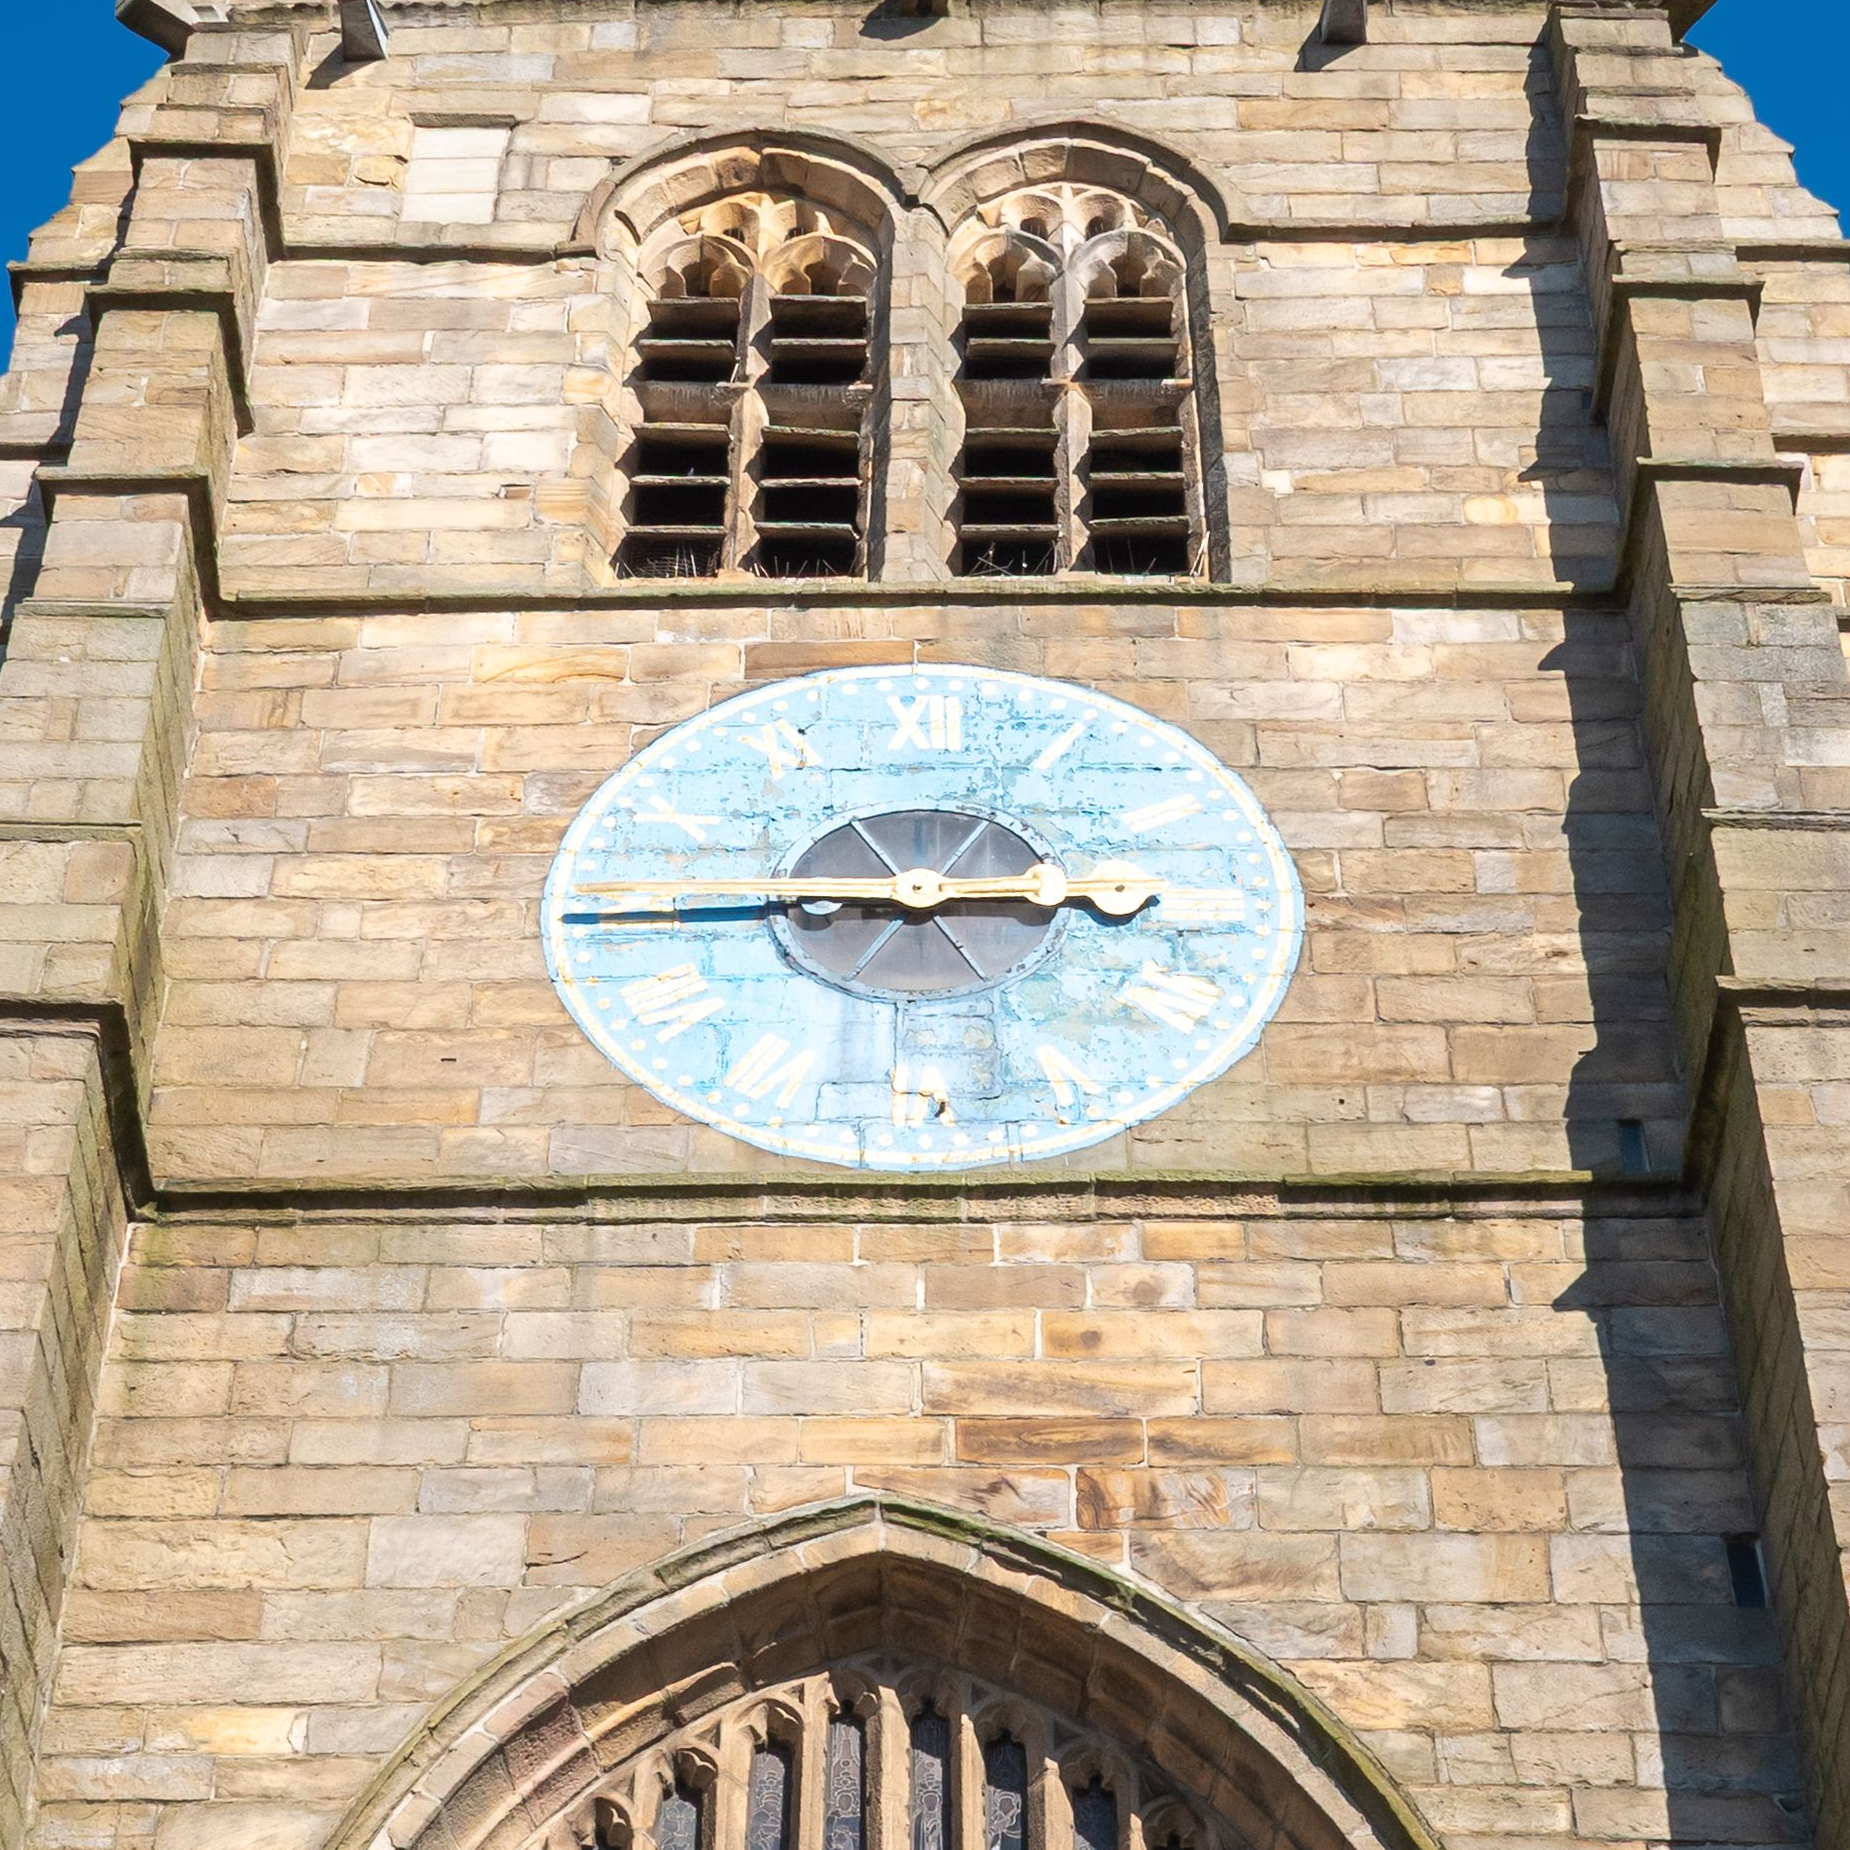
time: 2:44
